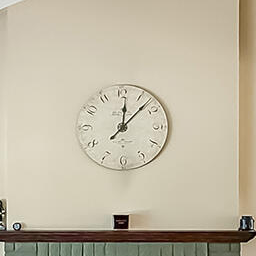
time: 12:07
